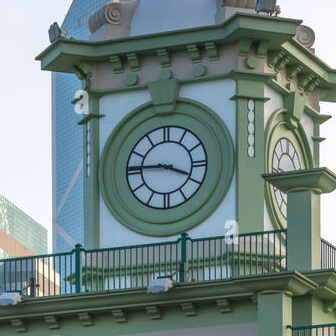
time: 3:45
